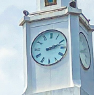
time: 2:12
